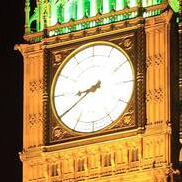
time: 8:39
